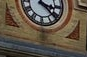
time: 3:22
